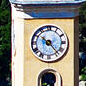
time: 10:23
